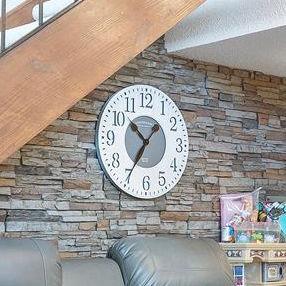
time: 10:35
